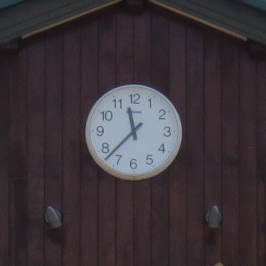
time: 11:37
